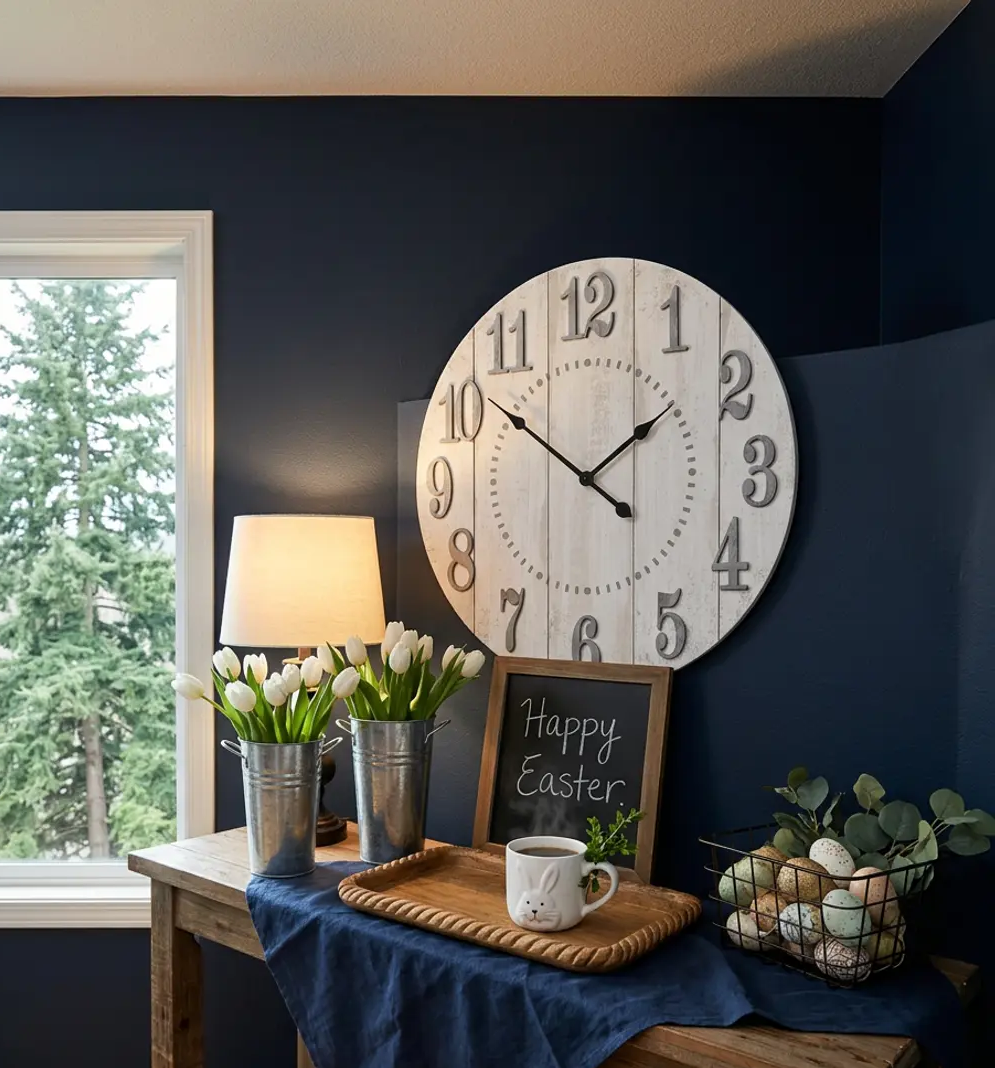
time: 1:51
